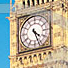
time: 4:26
